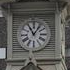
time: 11:06
